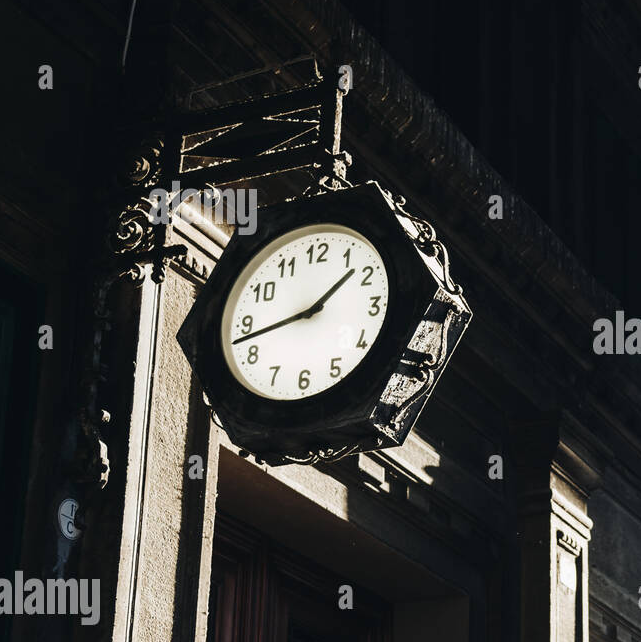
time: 1:42
